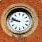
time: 9:47
